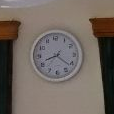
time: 8:21
